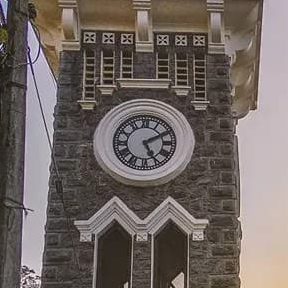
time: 5:10
